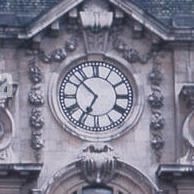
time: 6:52
